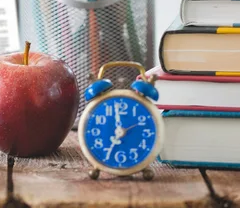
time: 6:58
